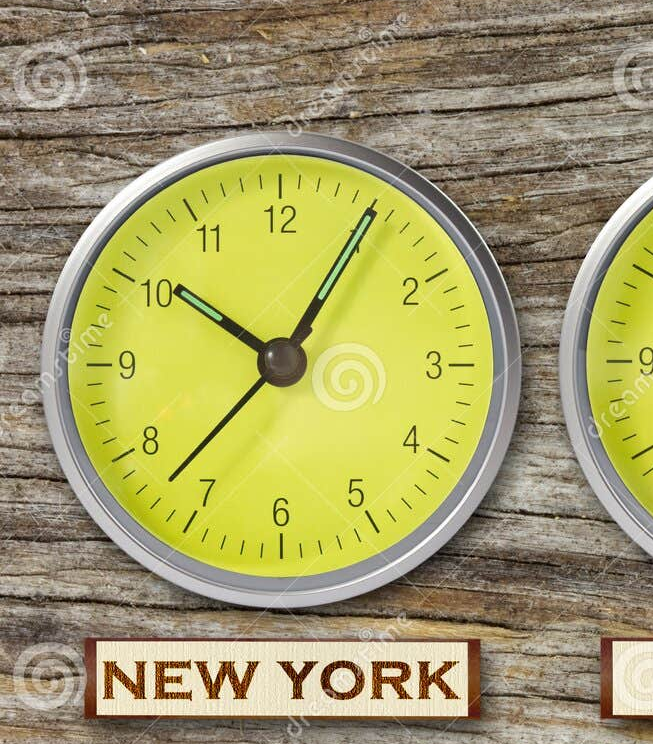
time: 10:05
